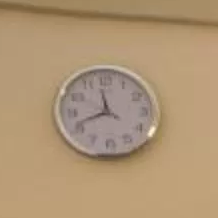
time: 11:41
